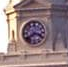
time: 3:38
